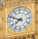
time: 7:48
